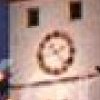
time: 2:23
